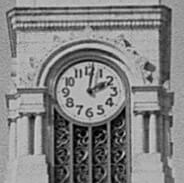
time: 2:01
